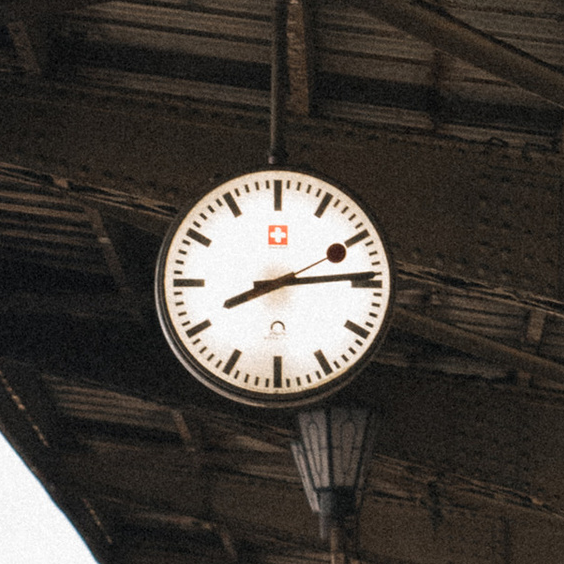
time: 8:14
